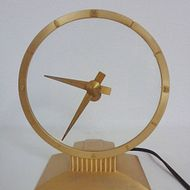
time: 9:35
